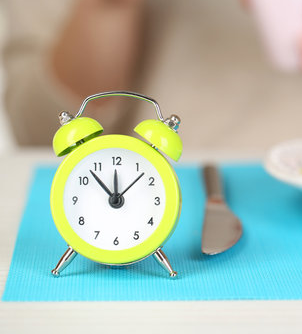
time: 11:52
